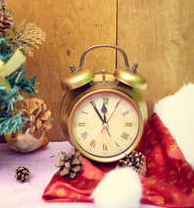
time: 11:54
